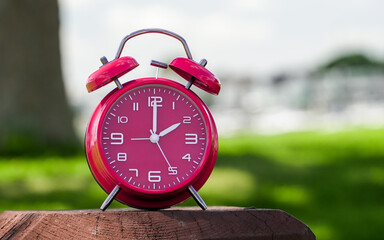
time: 2:00
